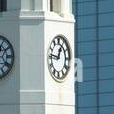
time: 12:46
